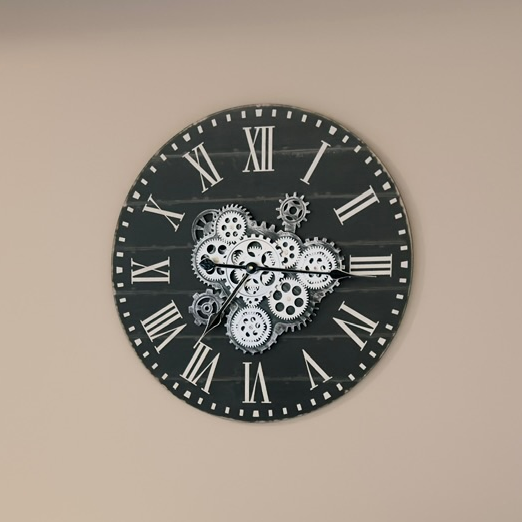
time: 7:15
